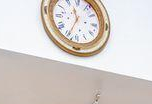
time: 11:34
